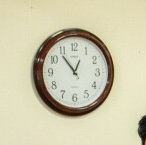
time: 12:53
